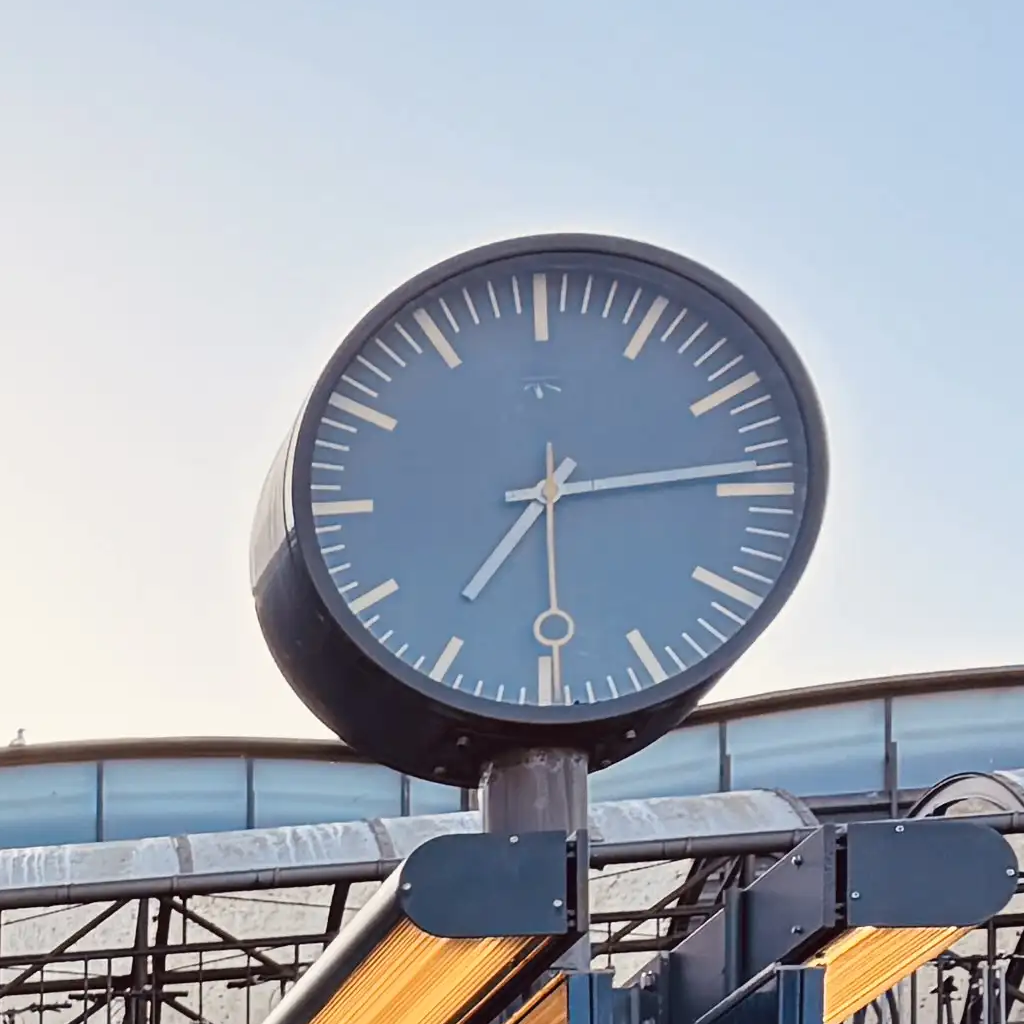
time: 7:14
